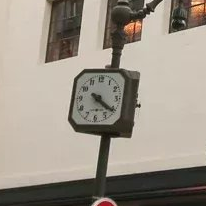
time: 4:20
